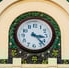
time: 3:22
